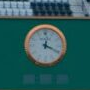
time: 12:19
